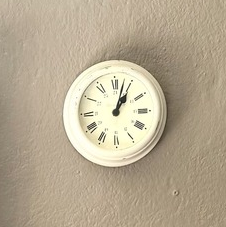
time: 1:02
